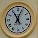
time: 11:03
